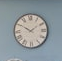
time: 1:50
